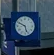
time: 5:49
